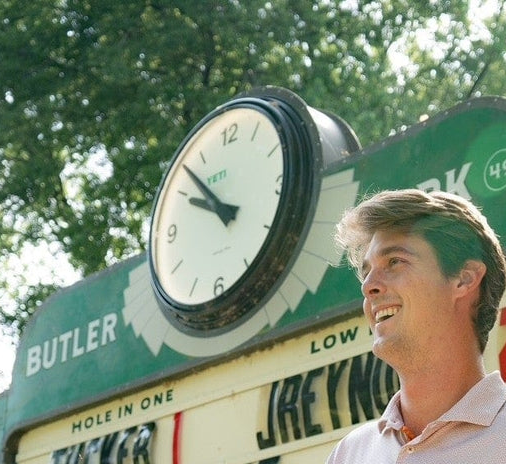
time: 9:52
